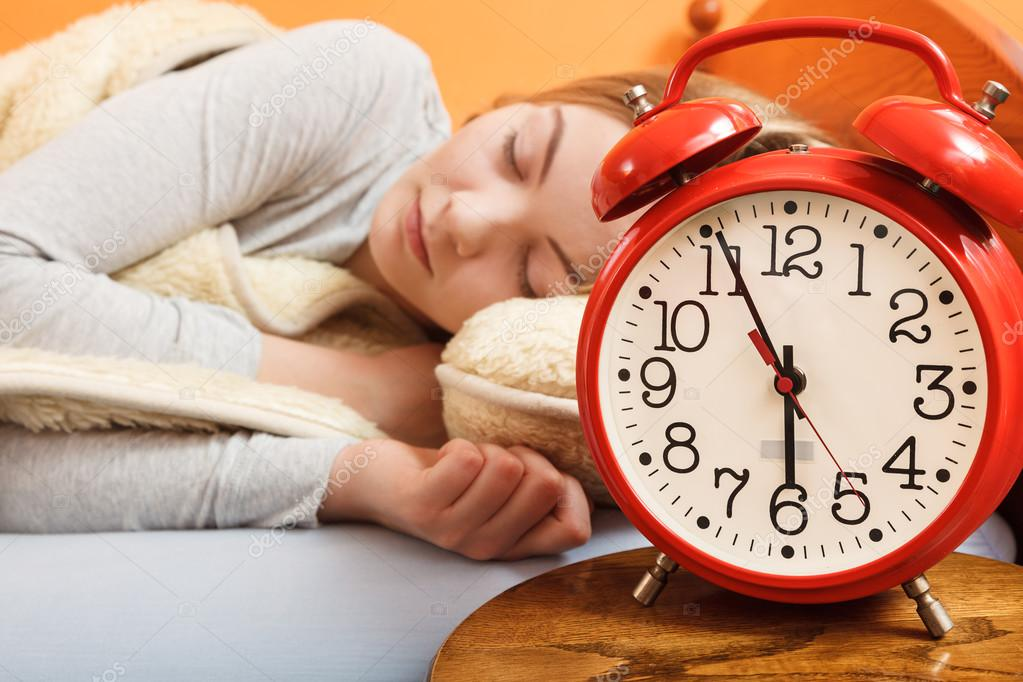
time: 5:55
